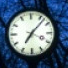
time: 7:07
